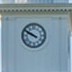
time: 9:50
